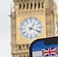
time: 1:18
